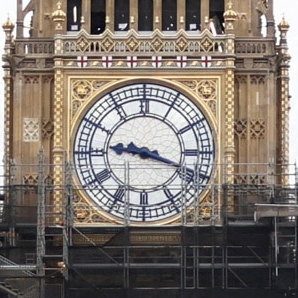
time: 9:18
